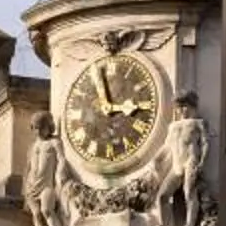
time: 2:57
